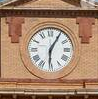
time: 6:05
